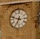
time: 6:47
